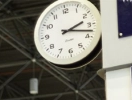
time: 2:17
